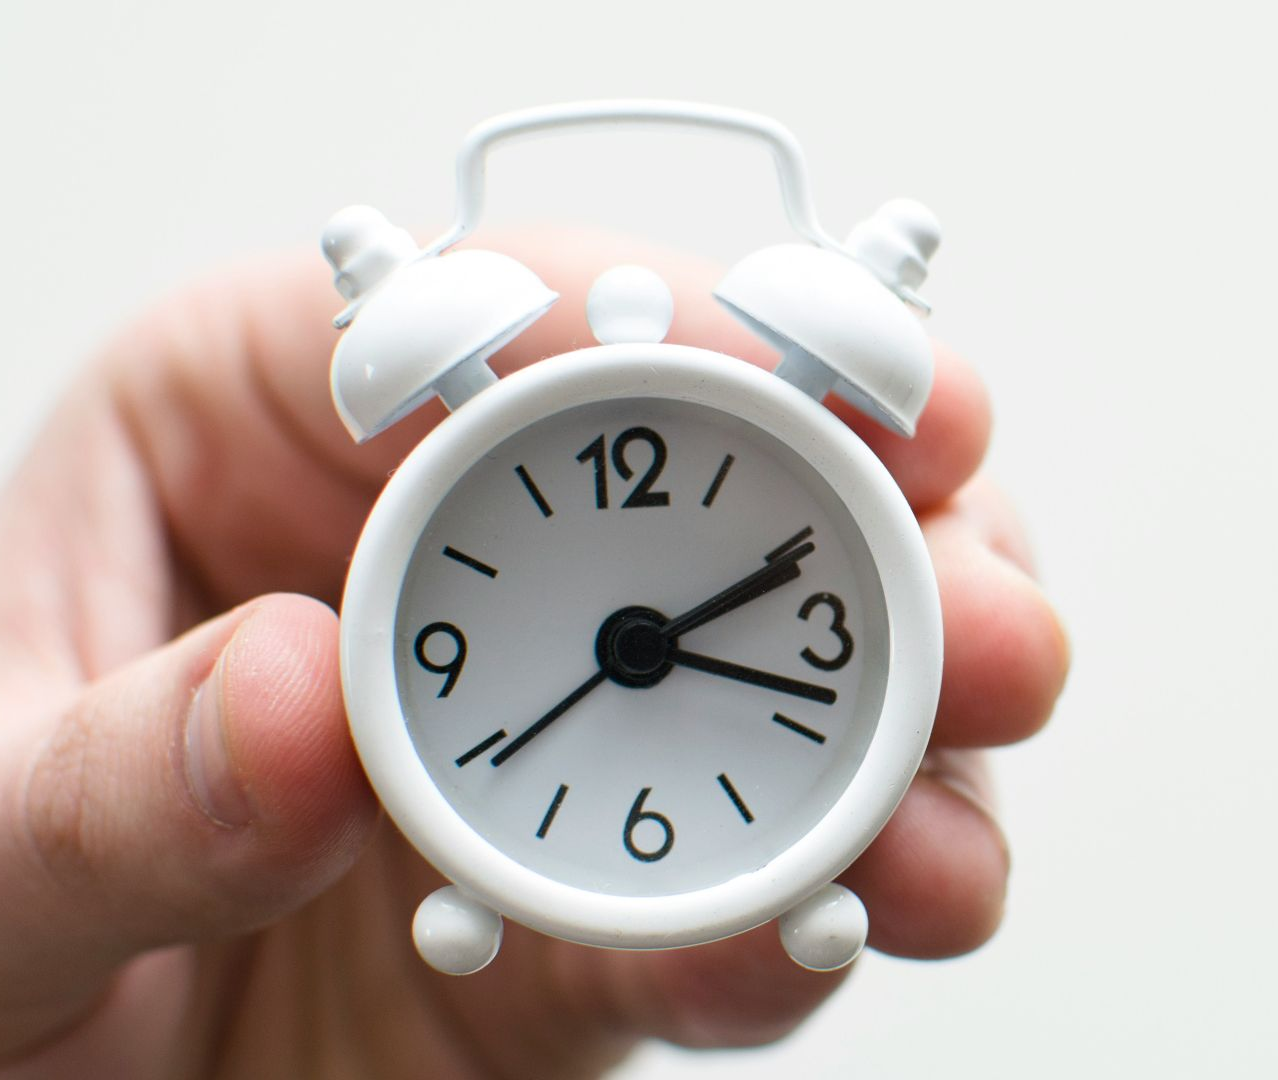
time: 2:18
